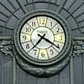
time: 7:20
